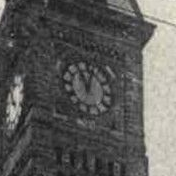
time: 11:02
